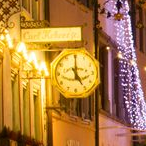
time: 5:00
